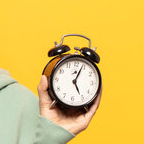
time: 5:03
